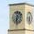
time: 6:32
